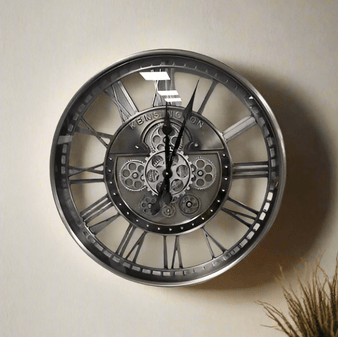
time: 12:03
